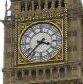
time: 3:37
